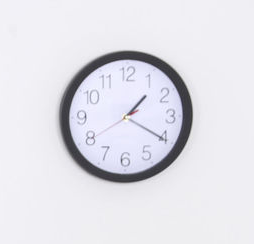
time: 1:20
